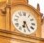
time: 6:25
